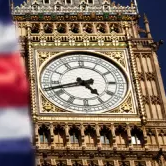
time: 4:42
